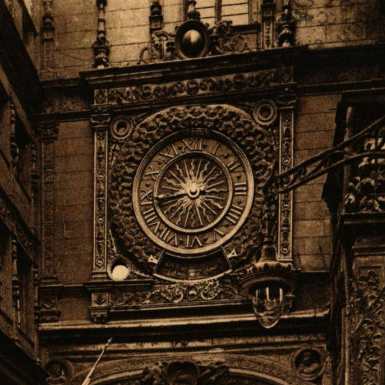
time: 8:43
